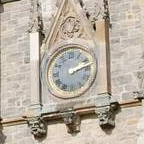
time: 2:12
